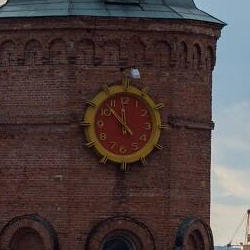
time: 11:52
